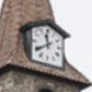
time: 11:39
